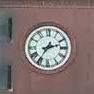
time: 2:35
